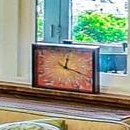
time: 12:18
